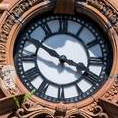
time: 3:50
